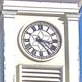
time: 3:23
